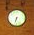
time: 6:32
